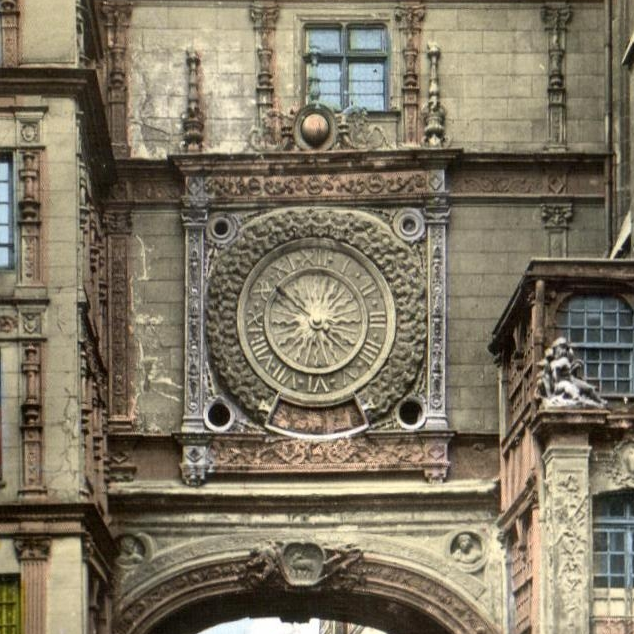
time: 8:51
